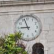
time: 8:56
